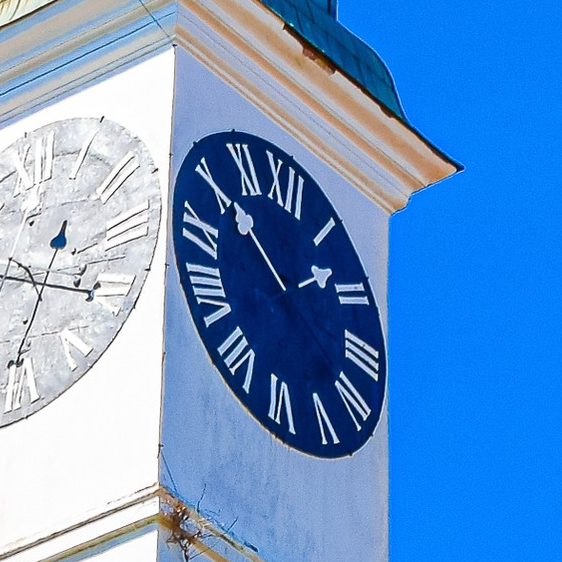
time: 1:50
